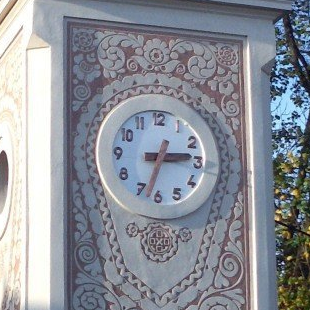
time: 2:32
